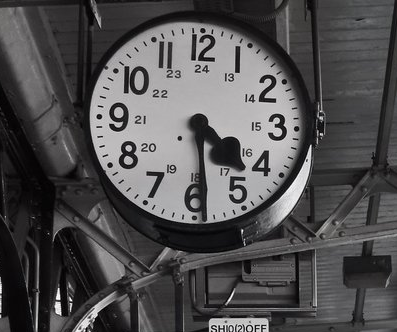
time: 4:29
